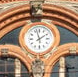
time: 1:57
